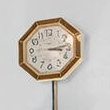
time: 3:13
